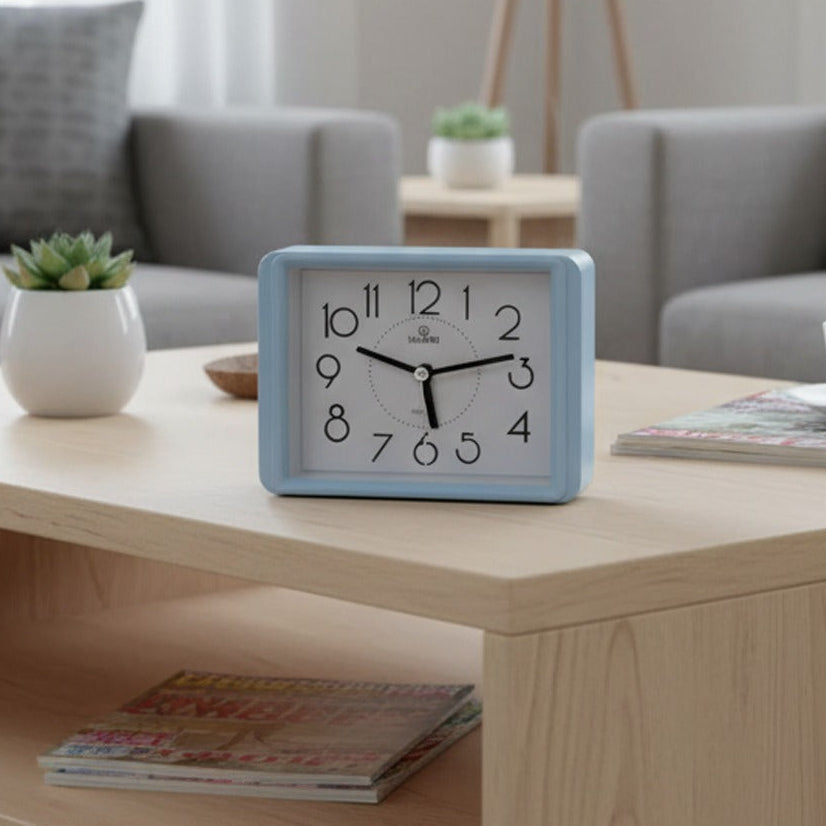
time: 5:48
